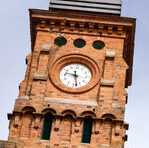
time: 9:27
